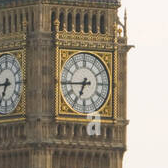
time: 6:44
